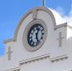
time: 12:26
